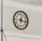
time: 6:17
